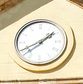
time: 1:40
